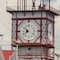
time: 7:51
